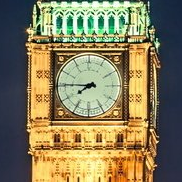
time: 7:45
